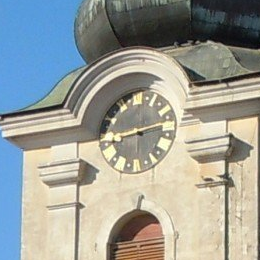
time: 8:12
